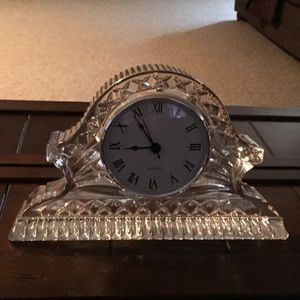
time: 8:54
